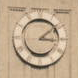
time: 3:08
